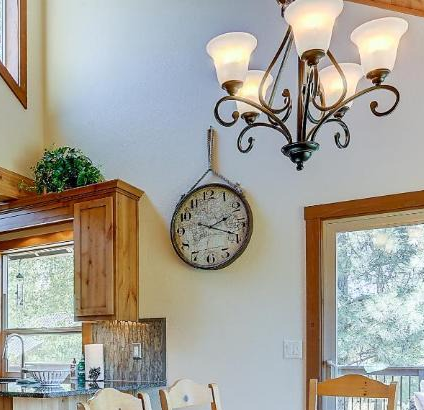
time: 2:18
